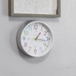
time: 1:16
